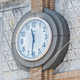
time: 11:31
